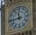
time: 11:43
